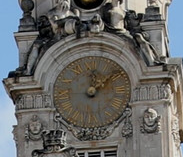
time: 12:08
